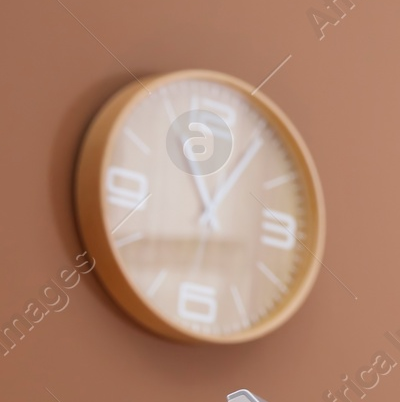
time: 11:06
